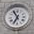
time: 6:54
